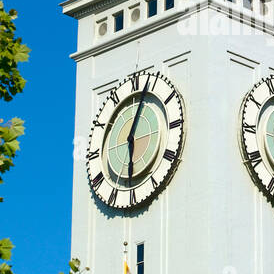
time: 6:03
